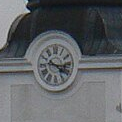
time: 4:16
